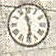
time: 11:29
